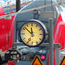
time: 11:52
